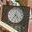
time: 4:35
